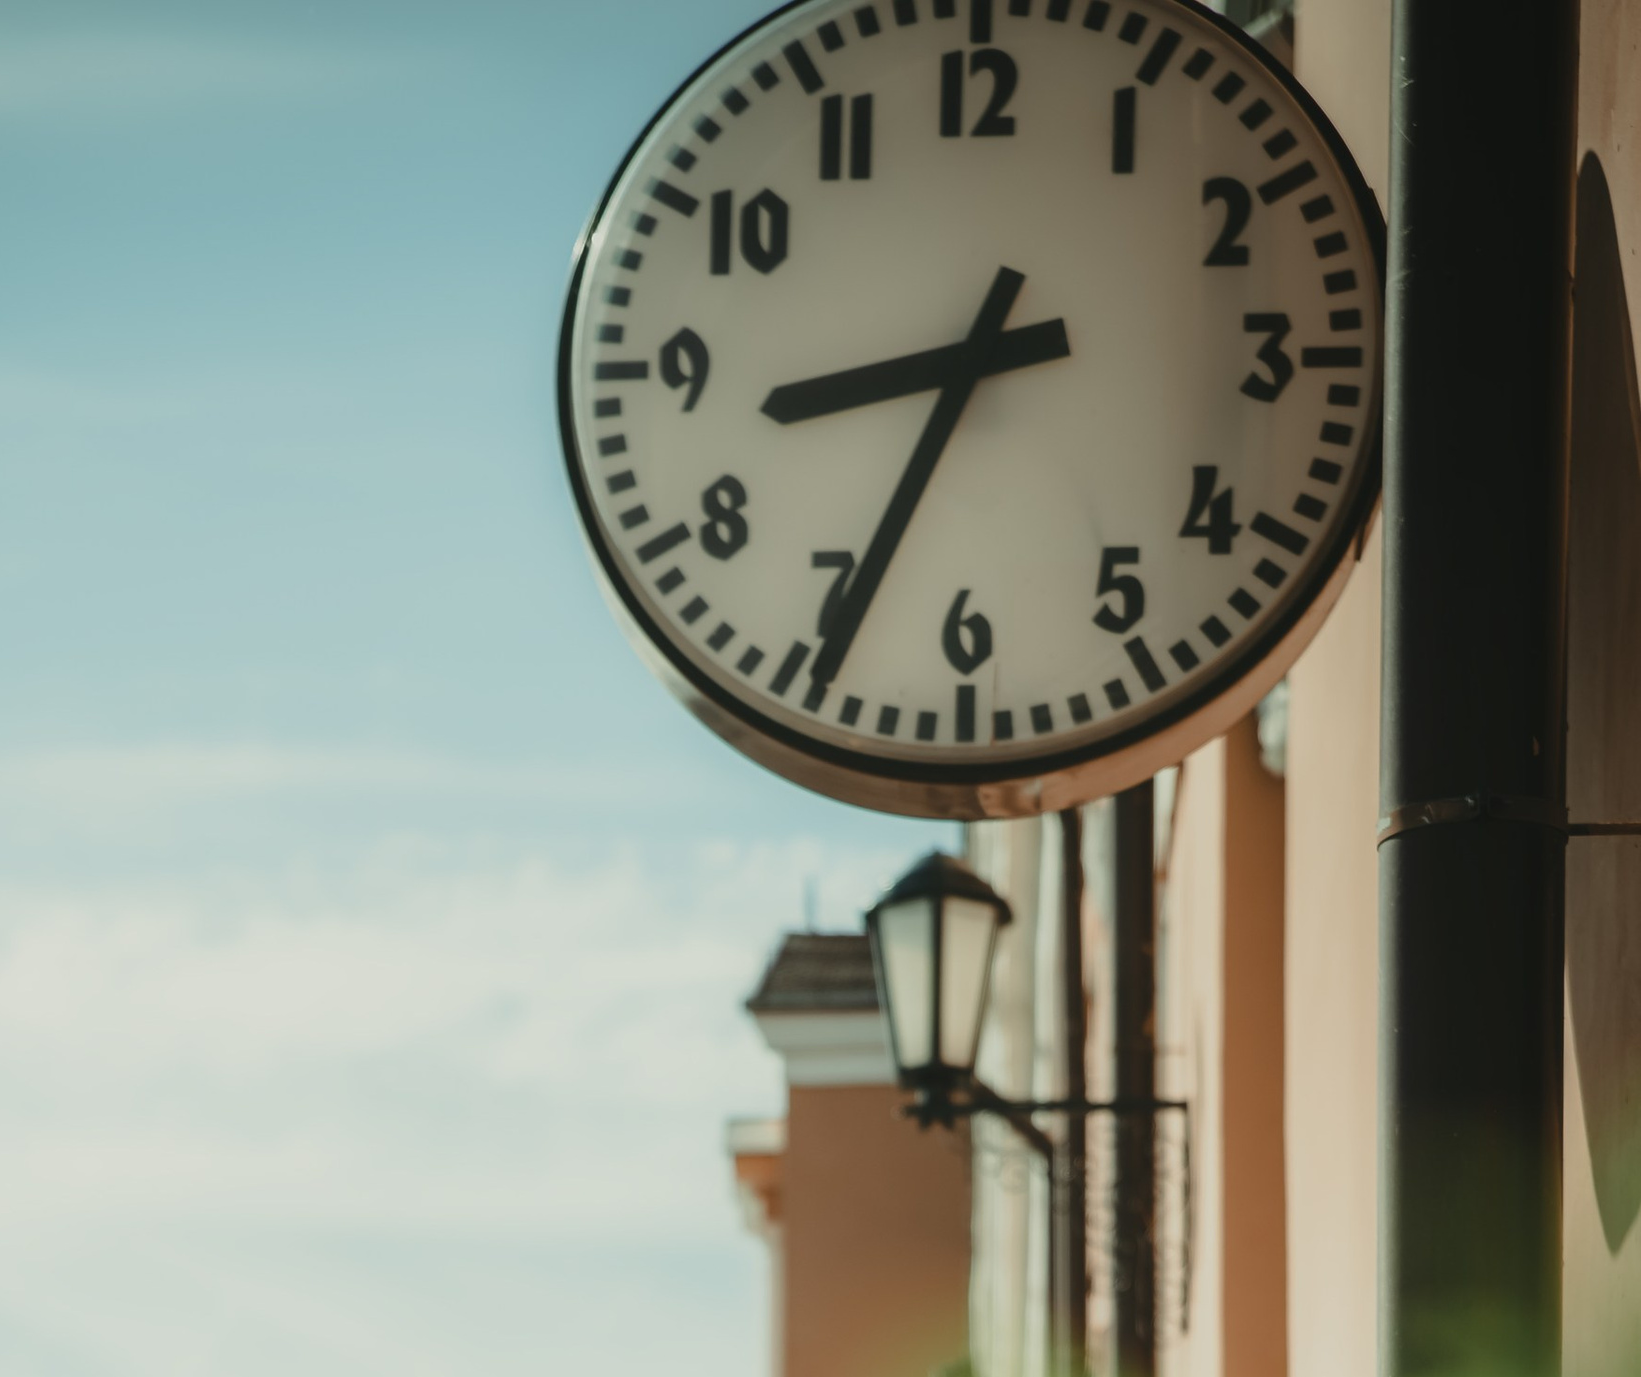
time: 8:34
